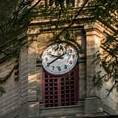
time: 9:40
